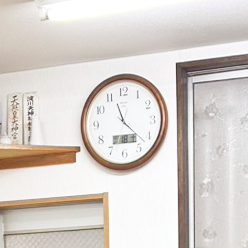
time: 11:22
